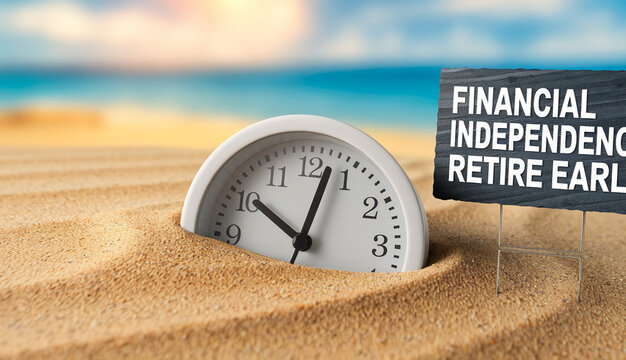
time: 10:02
